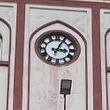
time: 3:04
